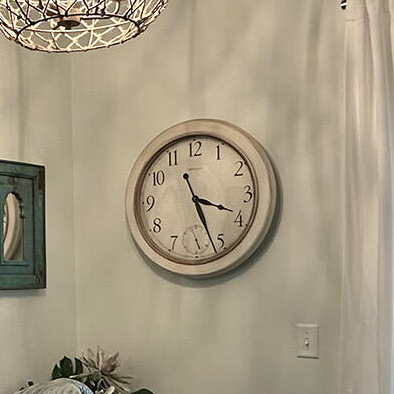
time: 3:26
